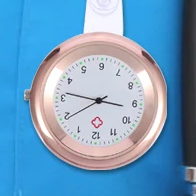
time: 9:16
